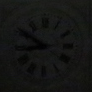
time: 8:50
